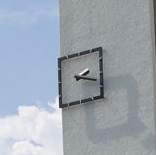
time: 2:18
